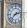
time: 2:38
